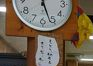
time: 12:26
